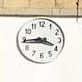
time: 3:44
